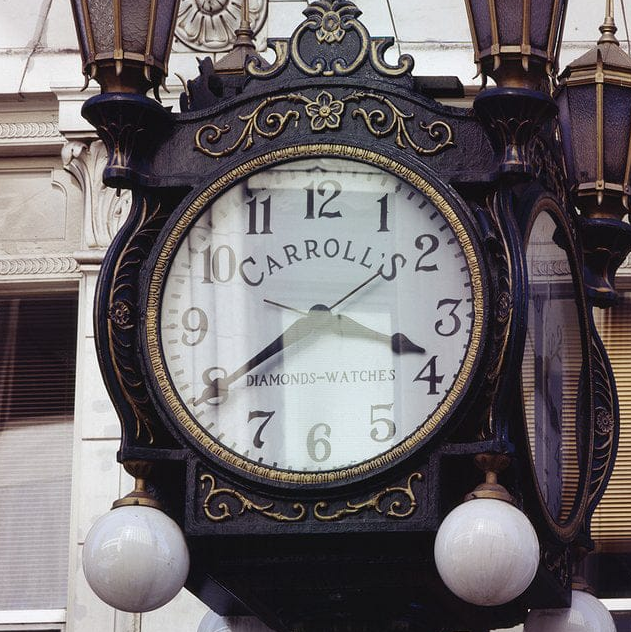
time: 3:39
